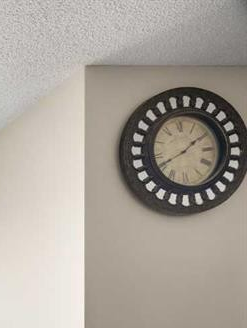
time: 1:39
